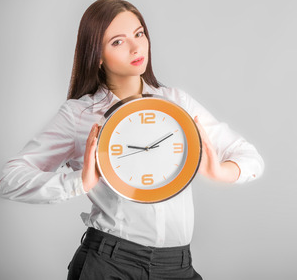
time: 9:10
